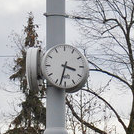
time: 3:32
